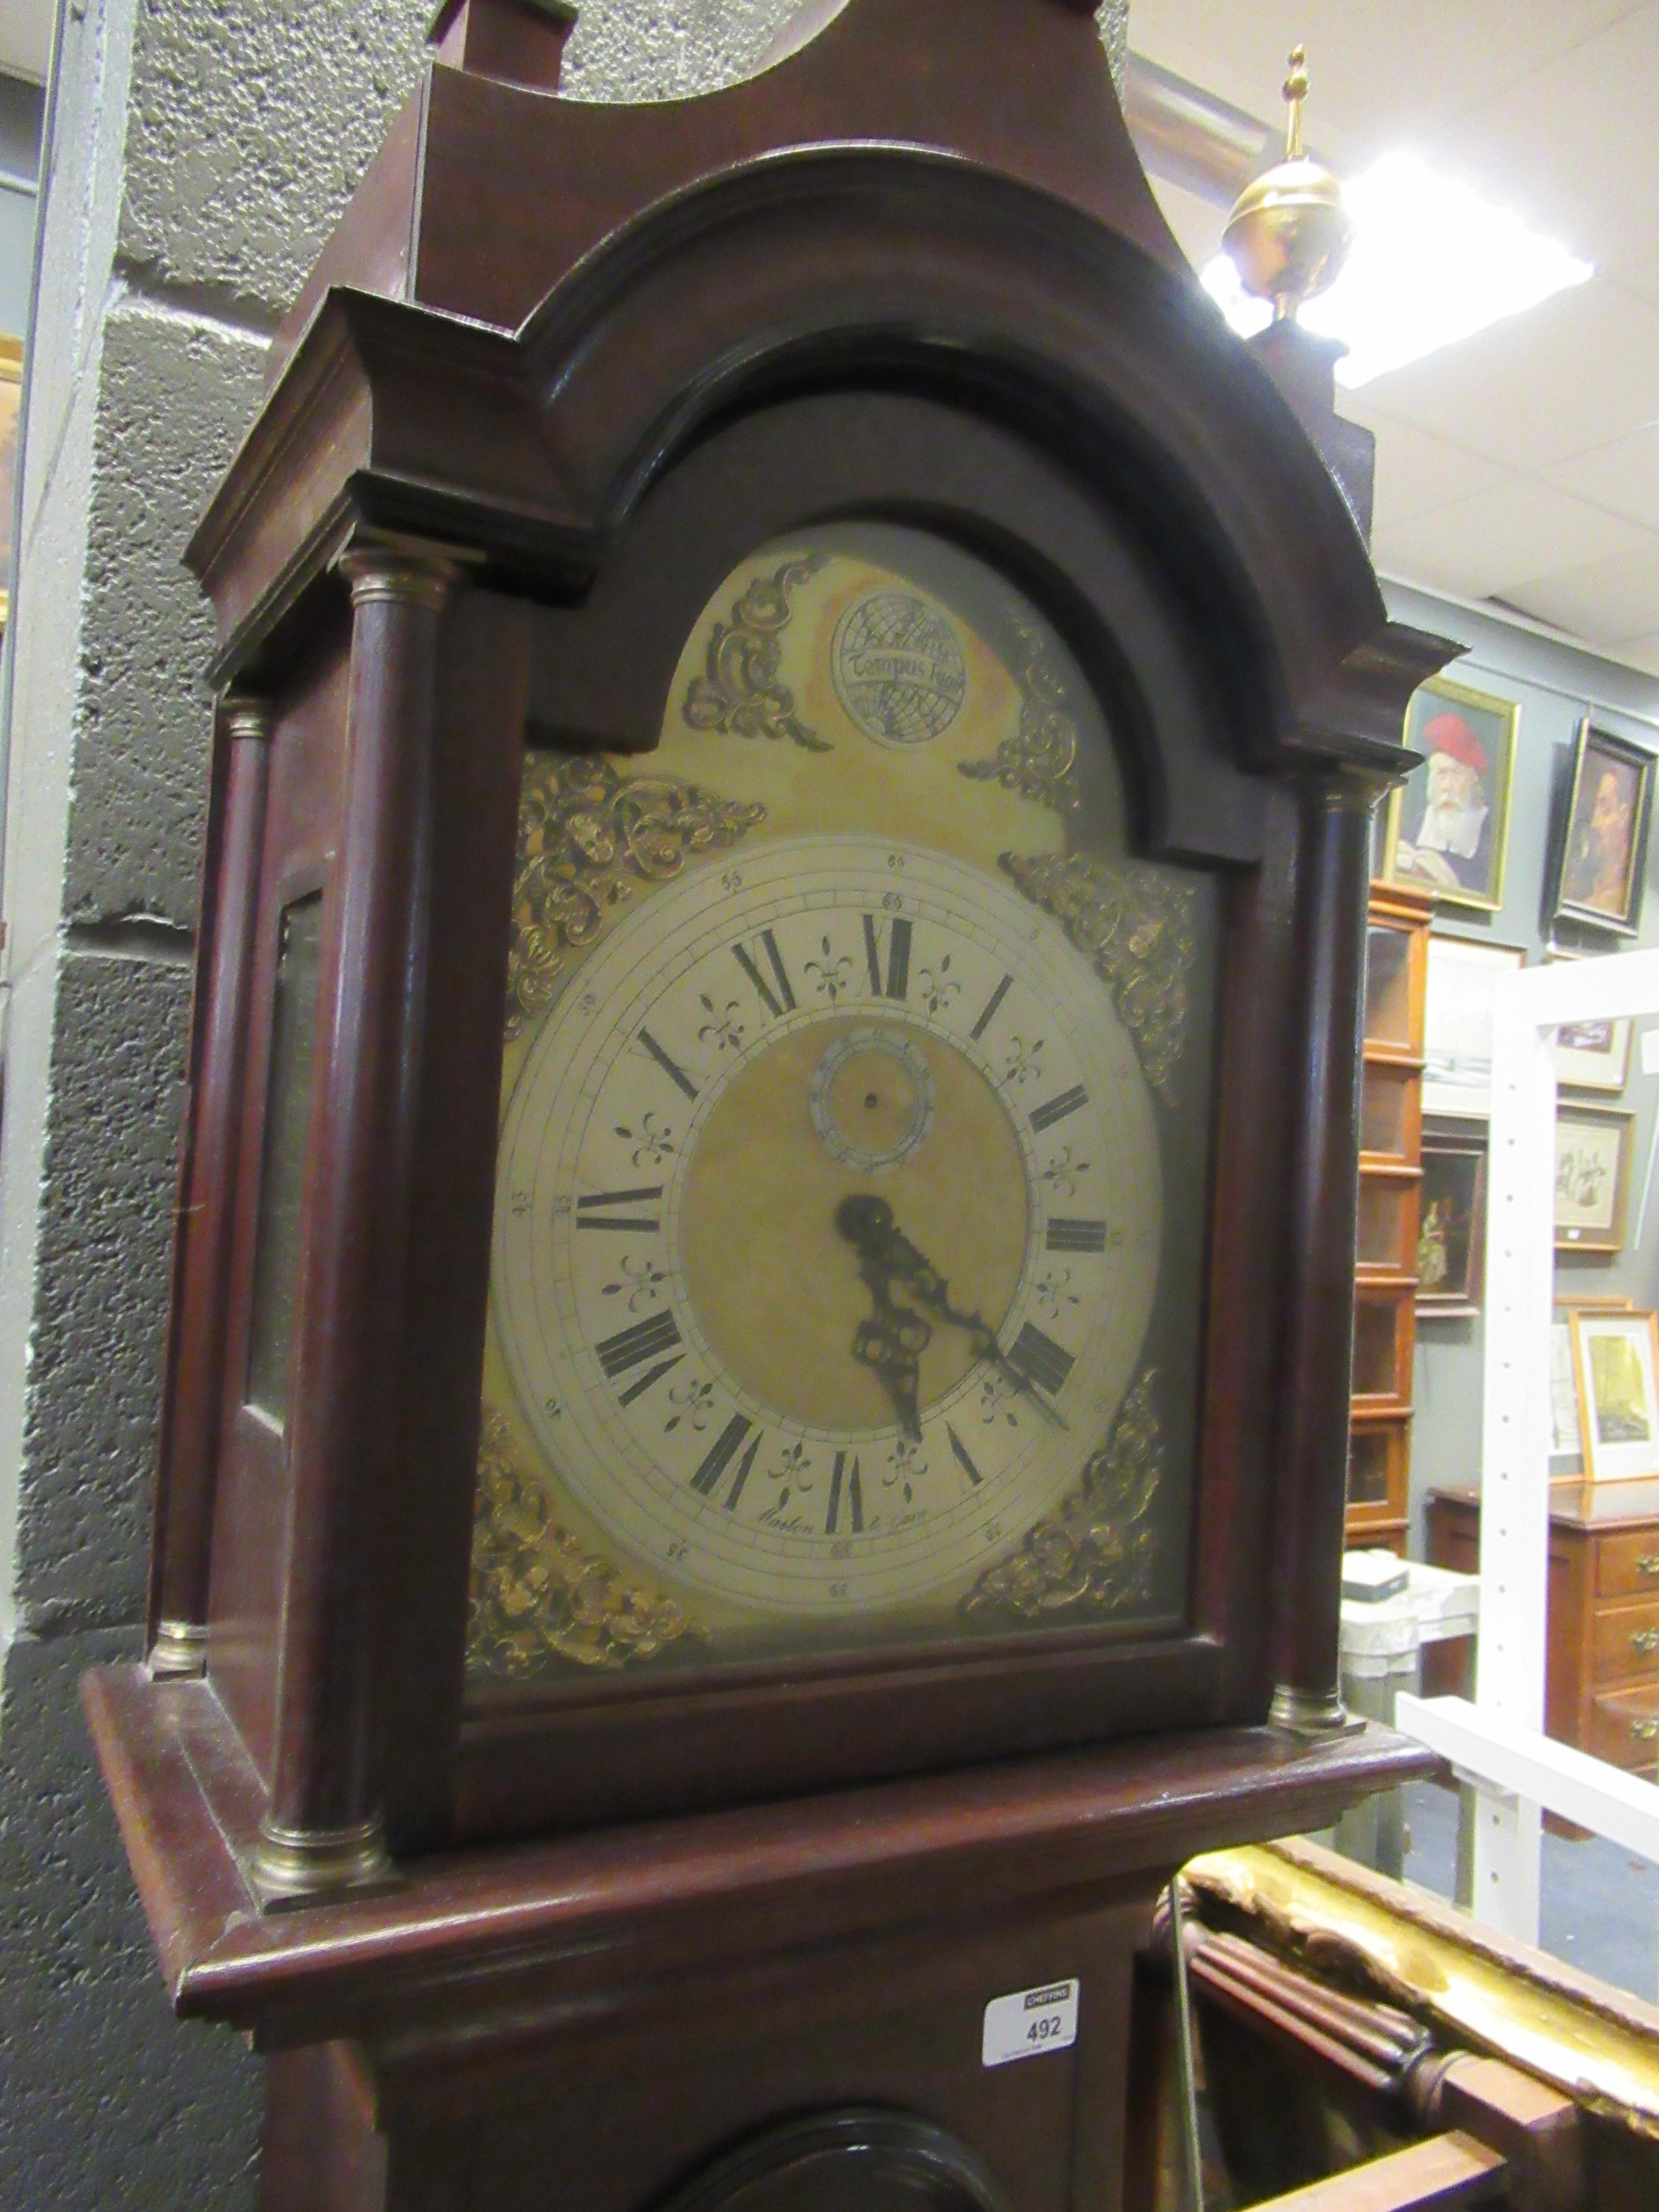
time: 5:20
